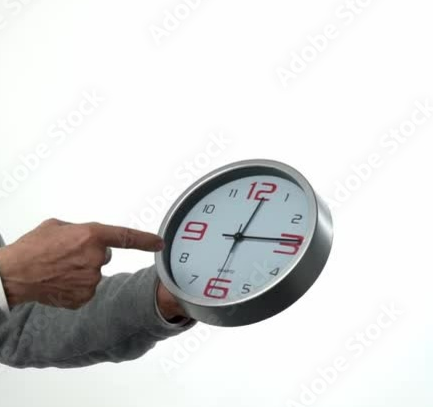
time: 12:14
